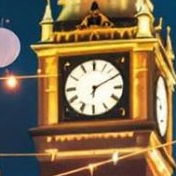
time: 6:10
